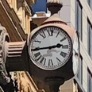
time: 2:44
